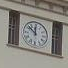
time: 11:52
